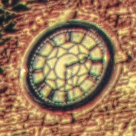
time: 2:29
